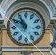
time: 10:50
